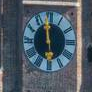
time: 11:58
